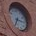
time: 7:15
